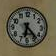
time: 6:23
